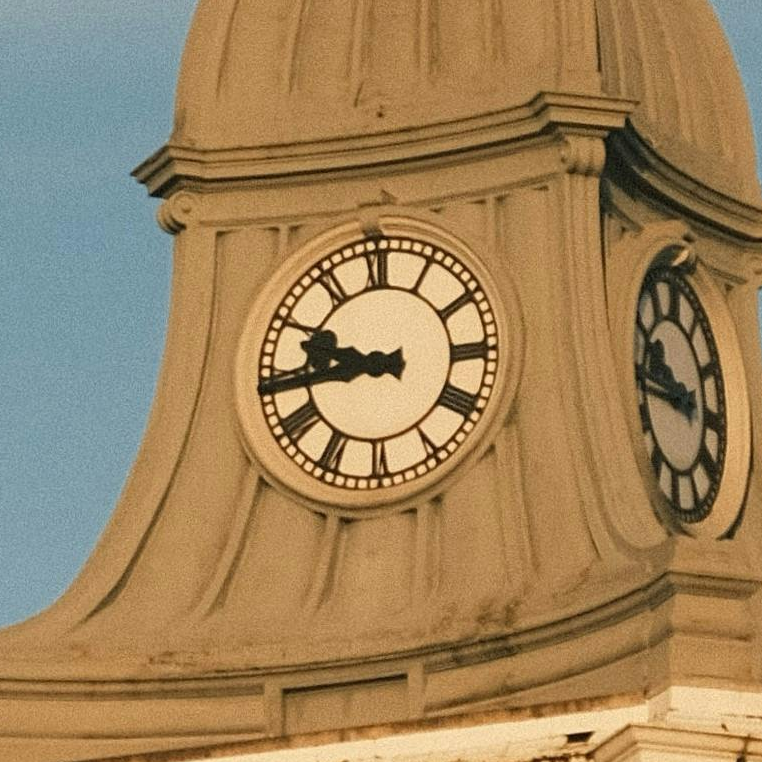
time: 9:44
